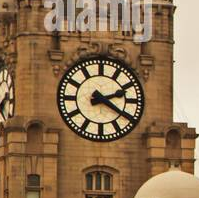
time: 2:20
